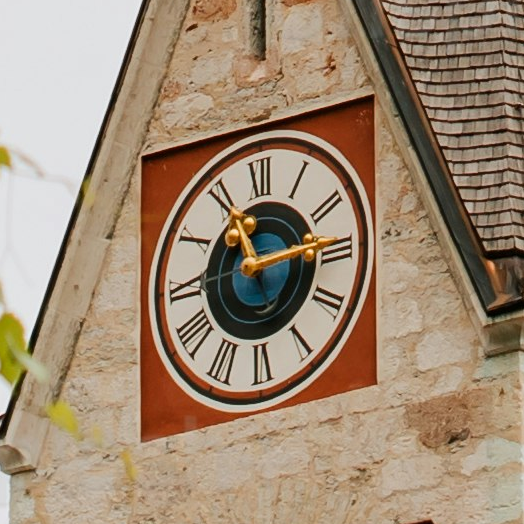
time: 11:13
